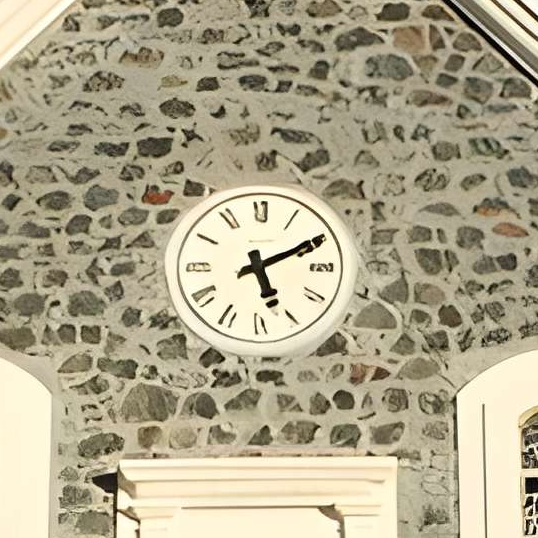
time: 5:10
